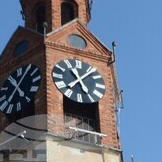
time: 11:07
